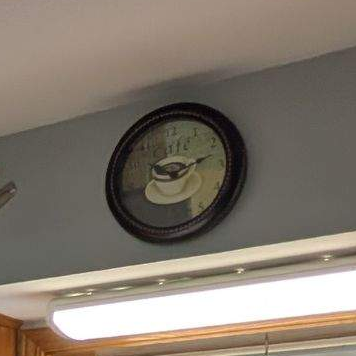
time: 9:12
